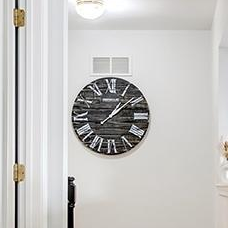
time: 1:08
